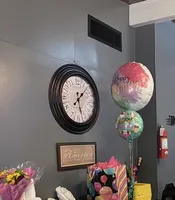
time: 1:28
